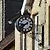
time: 8:38
